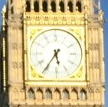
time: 5:35
